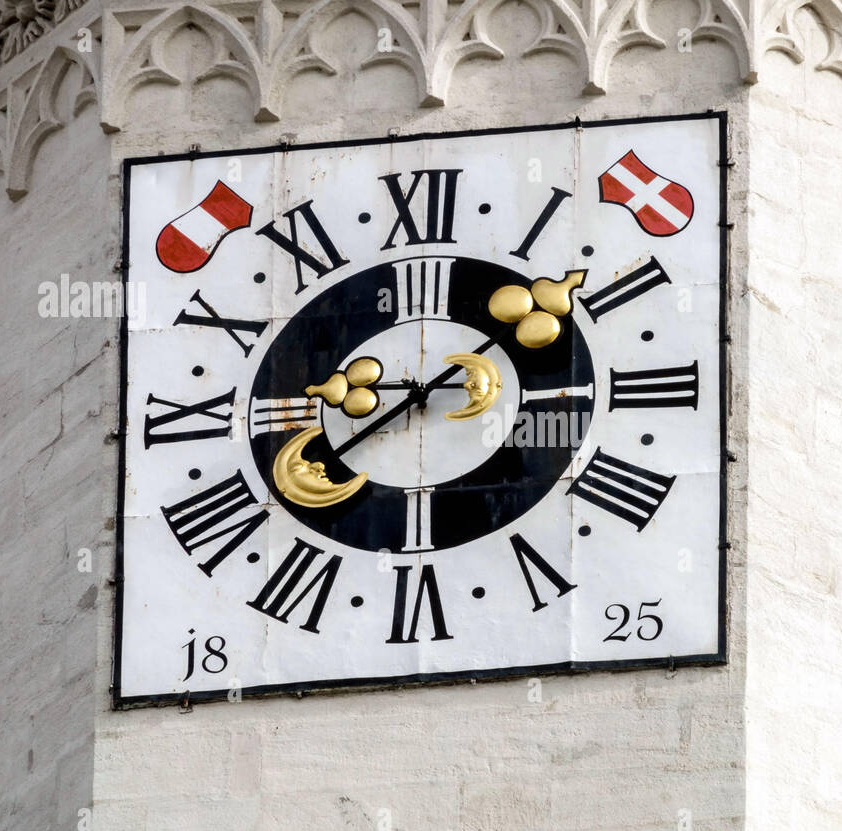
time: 1:39
